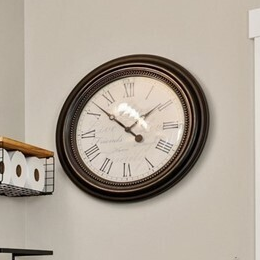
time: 1:51
